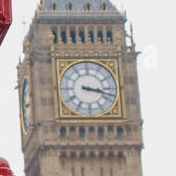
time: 3:18
